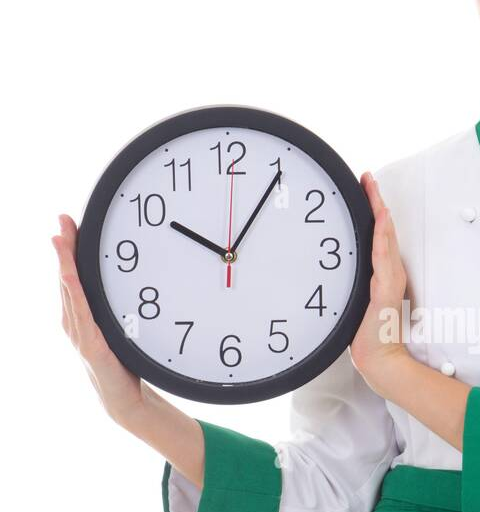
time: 10:05
